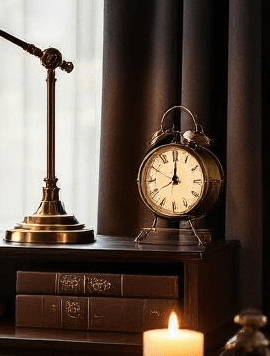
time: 12:00
